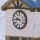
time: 9:45
